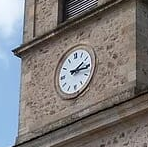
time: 2:16
